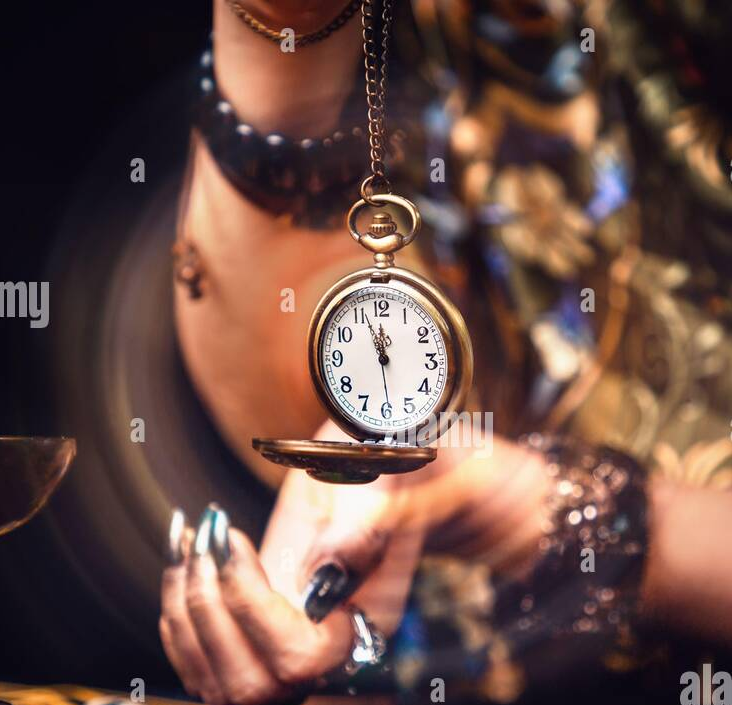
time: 11:56
